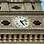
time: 5:11
